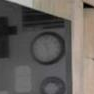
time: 11:28
